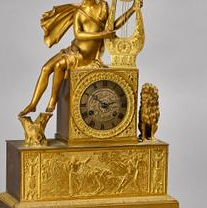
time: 10:12
